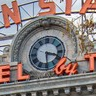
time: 3:29
